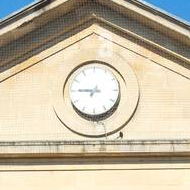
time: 6:45
